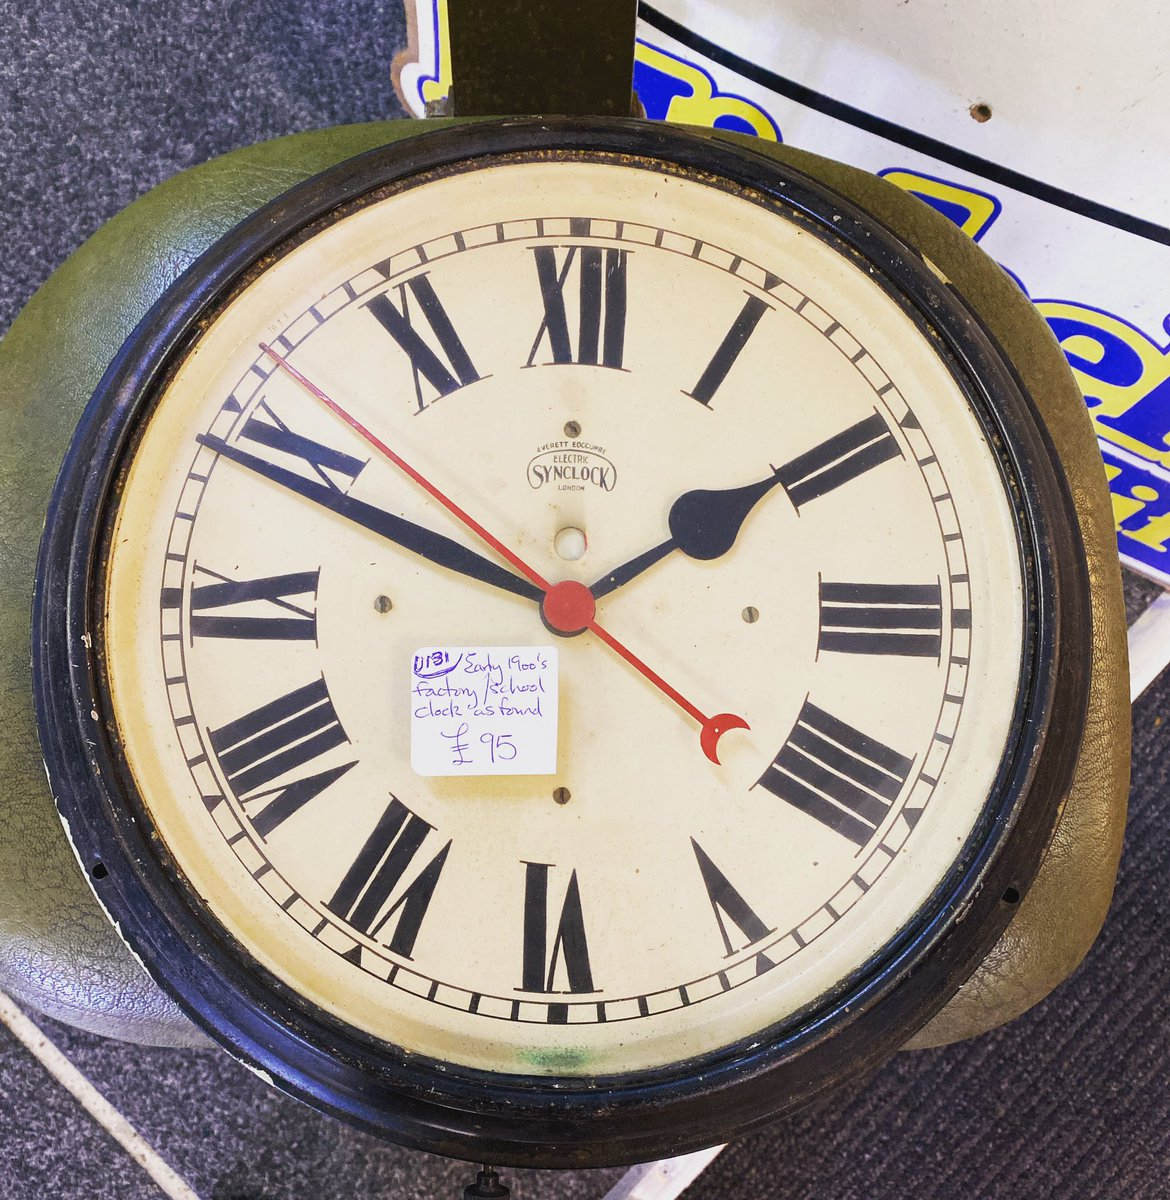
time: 1:48
